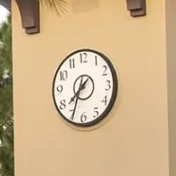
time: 7:34
